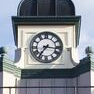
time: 7:16
